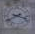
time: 3:40
